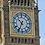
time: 10:34
